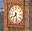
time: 7:28
